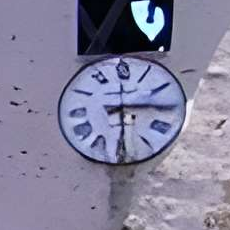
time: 2:29
